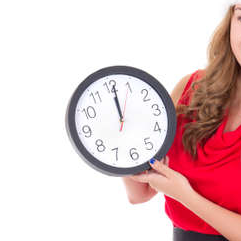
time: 12:01
